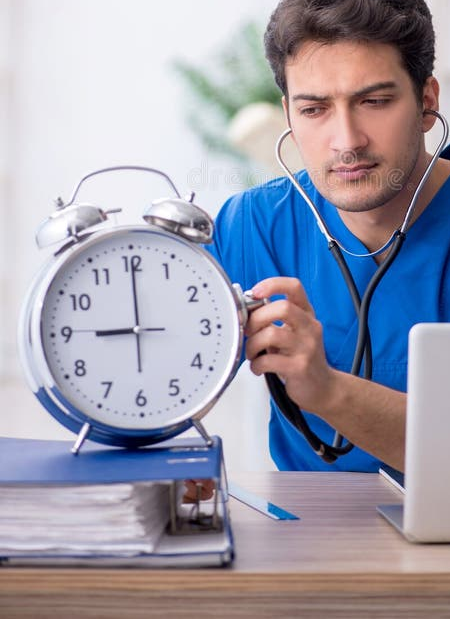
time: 9:00
